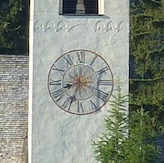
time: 8:33
